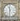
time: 11:31
